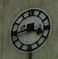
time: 3:43
